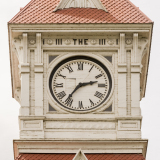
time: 2:36
